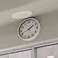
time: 1:41
